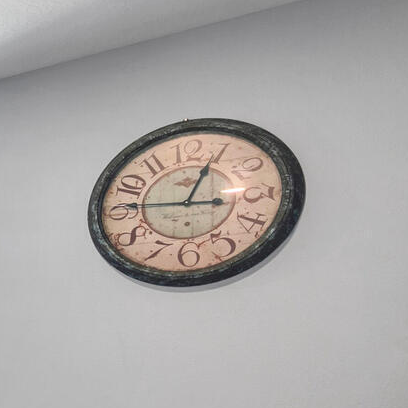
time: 12:46
